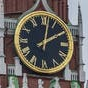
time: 2:02
